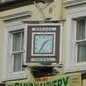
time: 1:34
